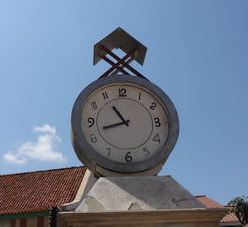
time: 10:42
